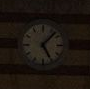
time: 5:06
